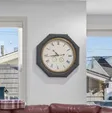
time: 10:43
